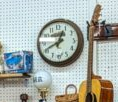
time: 12:41
